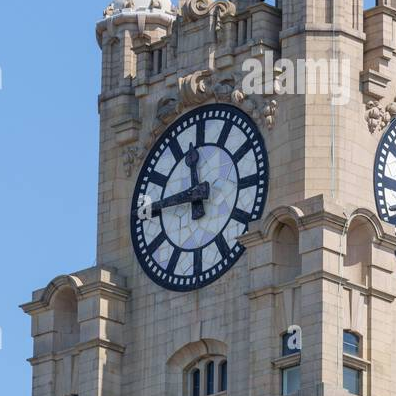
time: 11:45
